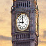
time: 8:59
